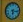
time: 6:16
